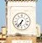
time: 6:36
